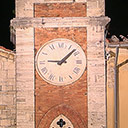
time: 9:07
